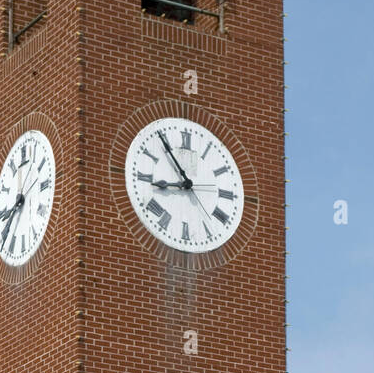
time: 8:54
